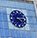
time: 4:13
